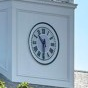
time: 10:30
